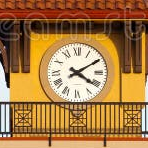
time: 4:09
